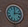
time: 12:13
